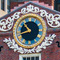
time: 10:42
